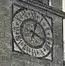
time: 12:18
